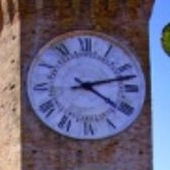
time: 4:12
